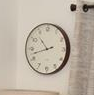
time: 10:42
